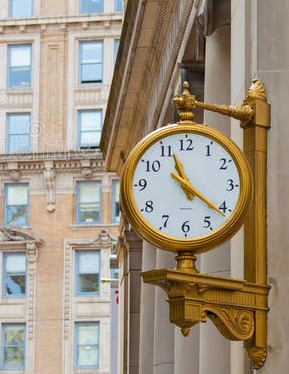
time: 11:21
